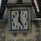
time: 5:00
